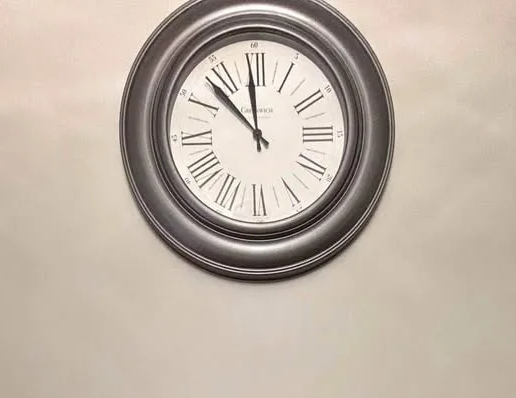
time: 11:52
